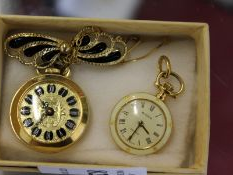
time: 4:35
